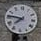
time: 7:46
